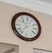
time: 10:37
